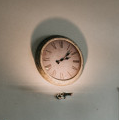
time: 2:07
